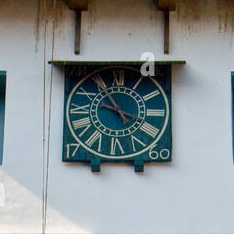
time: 3:55
